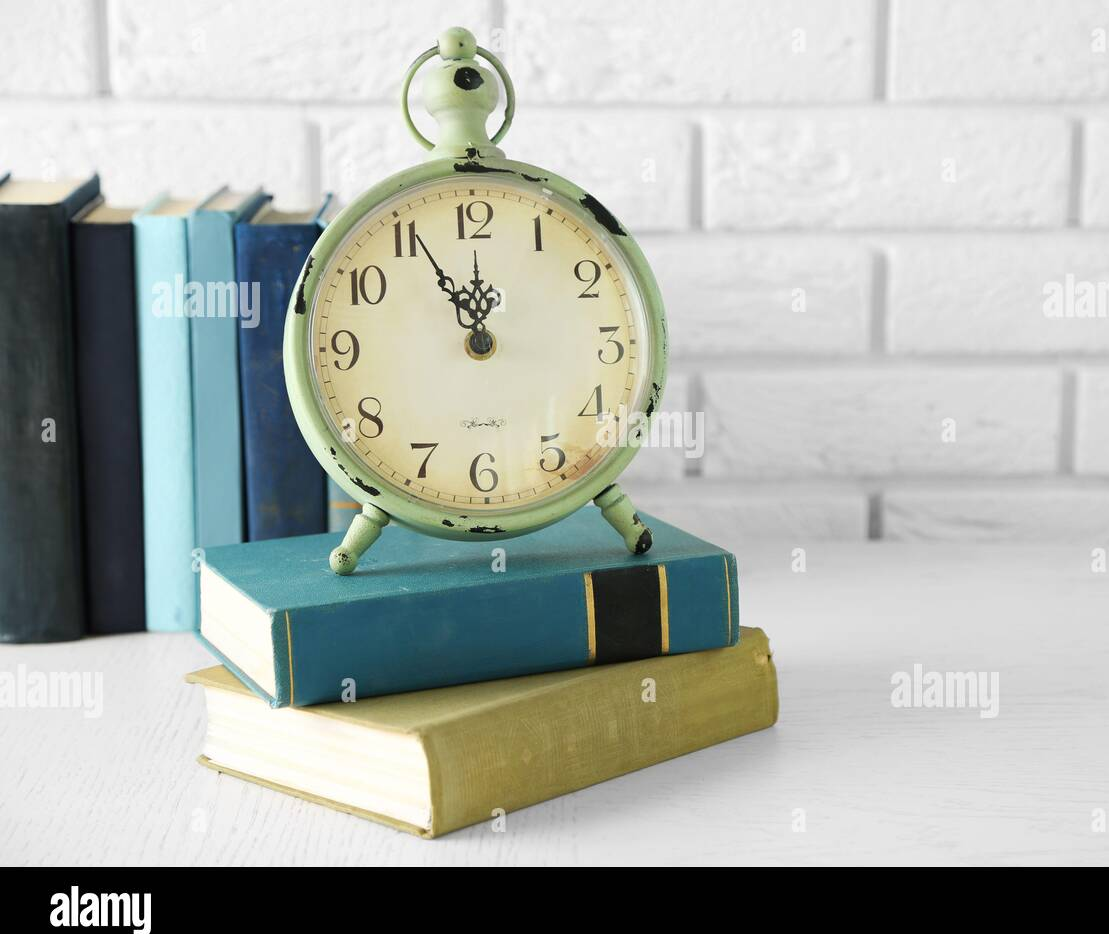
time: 11:55
